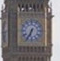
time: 6:34
